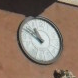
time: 10:50
